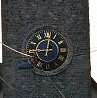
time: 9:01
